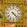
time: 4:22
